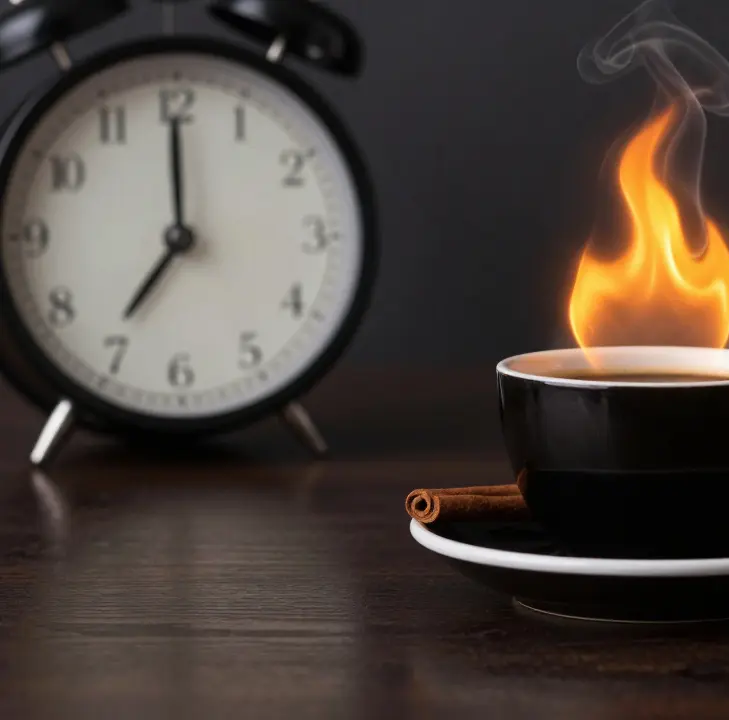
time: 7:00
